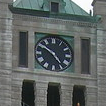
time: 4:50
